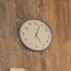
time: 5:03
